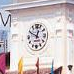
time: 12:49
